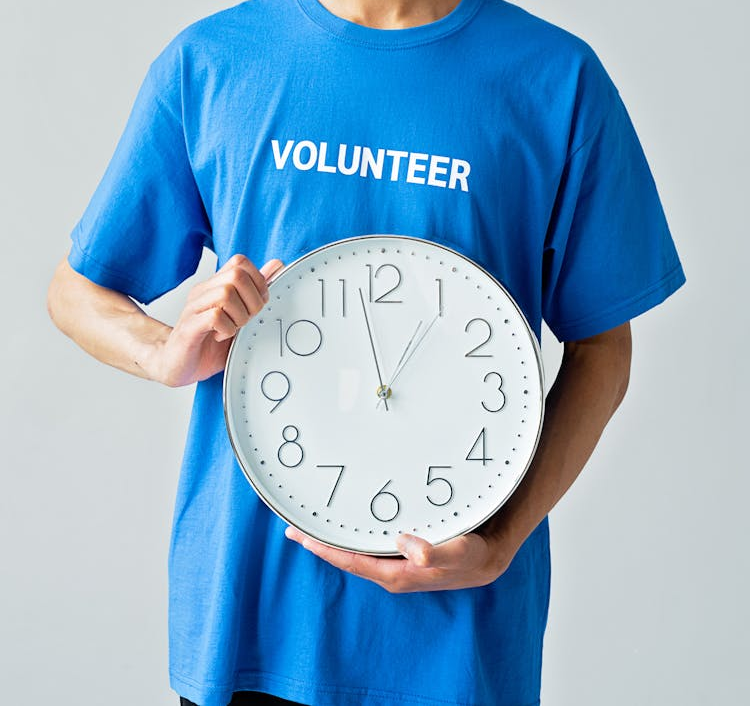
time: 12:57
